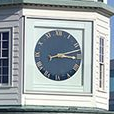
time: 3:12
